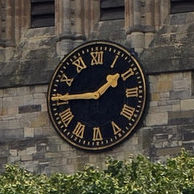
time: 1:45
